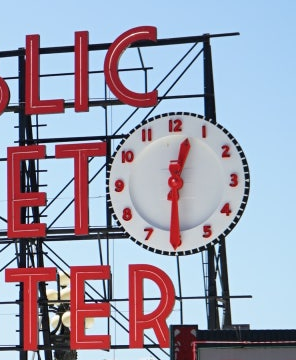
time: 12:30
